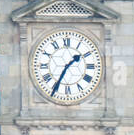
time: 1:34
